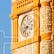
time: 8:38
